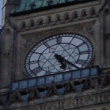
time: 5:21
